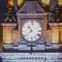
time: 10:39
